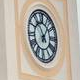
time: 11:07
